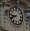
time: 8:40
